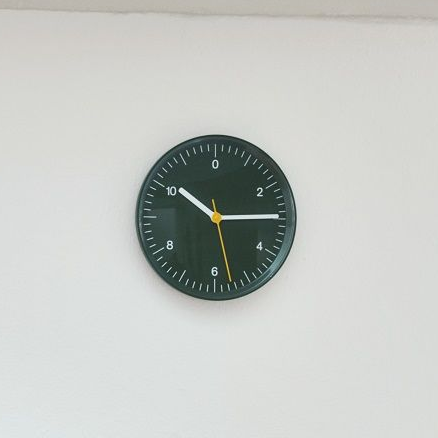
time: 10:14
